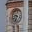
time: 9:33
